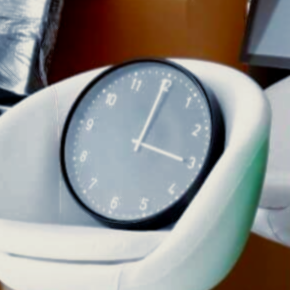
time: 3:00
